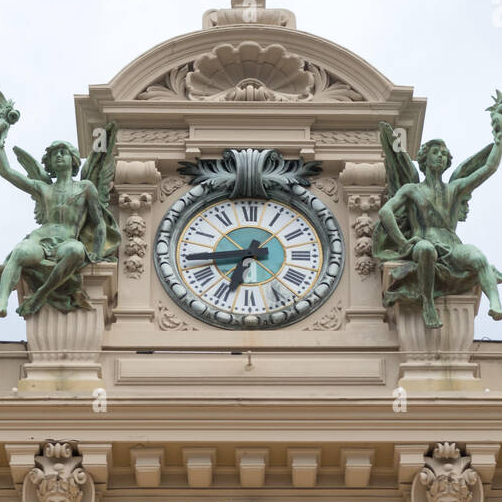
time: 6:43
